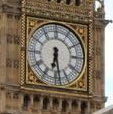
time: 6:28
